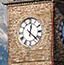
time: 12:22
